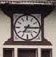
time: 7:15
